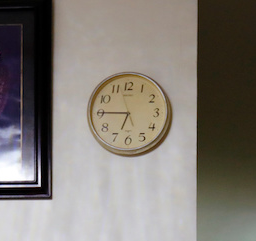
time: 6:45
